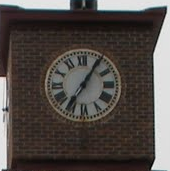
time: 7:05
